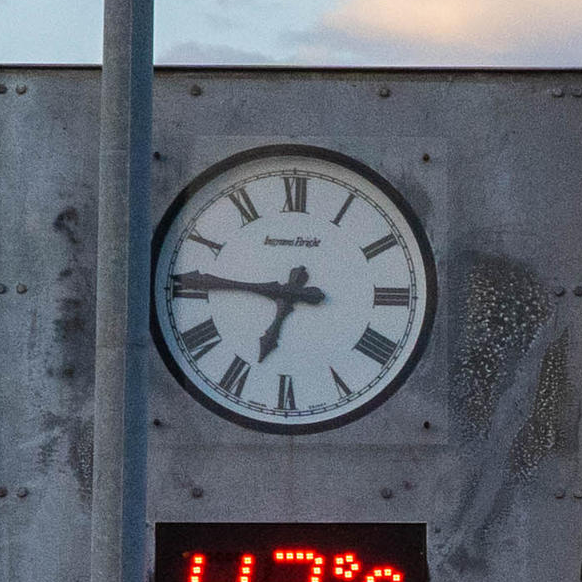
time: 6:45
